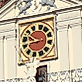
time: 9:42
